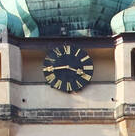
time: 3:43
